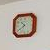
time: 10:39
